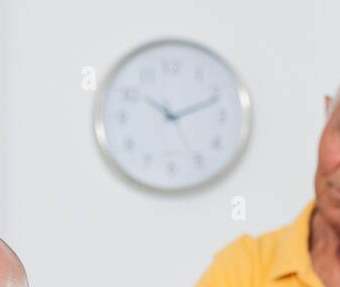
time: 10:11
